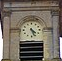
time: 4:26
